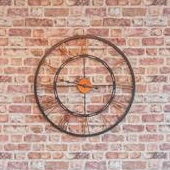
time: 2:45
